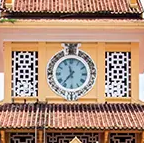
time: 11:36
